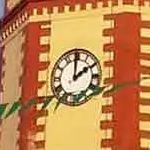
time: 1:59
